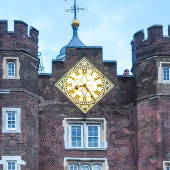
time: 8:24
